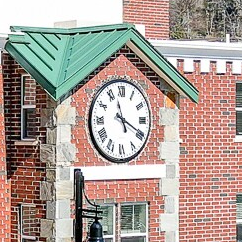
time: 5:19
